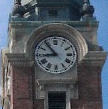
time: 8:53
